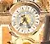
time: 7:23
